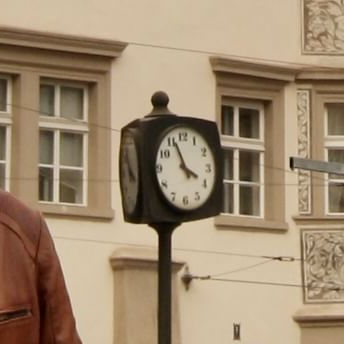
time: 3:56
